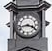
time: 3:42
